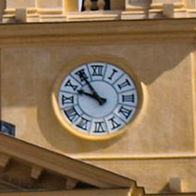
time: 9:54
